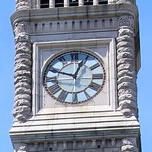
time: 12:48
